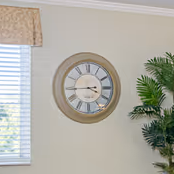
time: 3:44
